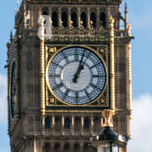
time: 1:03
